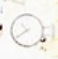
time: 10:39
